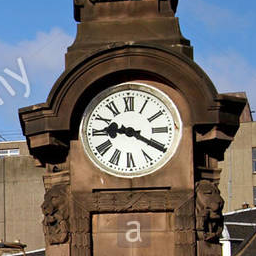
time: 9:20
